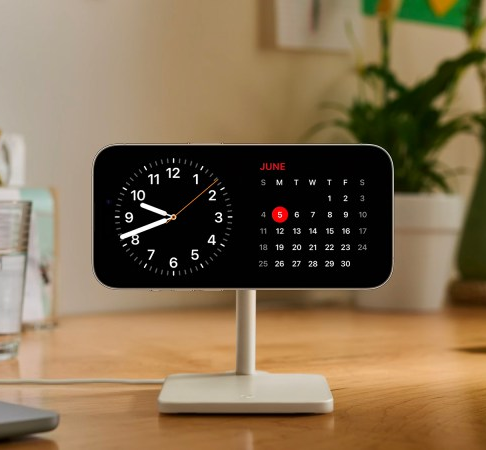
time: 9:41
